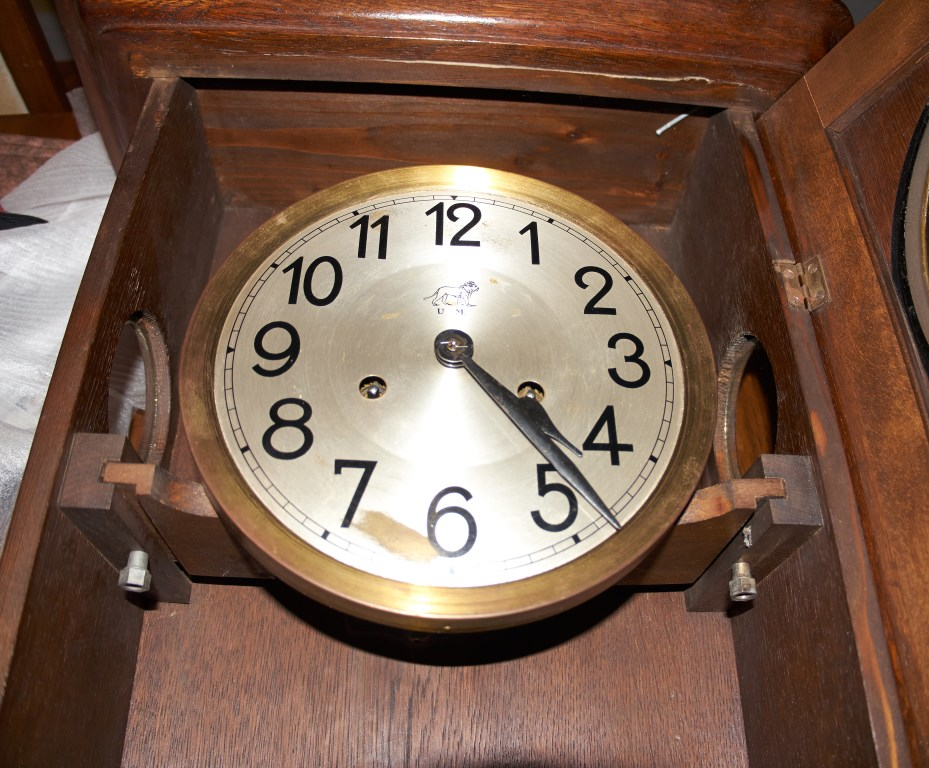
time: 4:23
